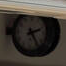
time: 2:24
